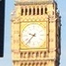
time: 9:37
